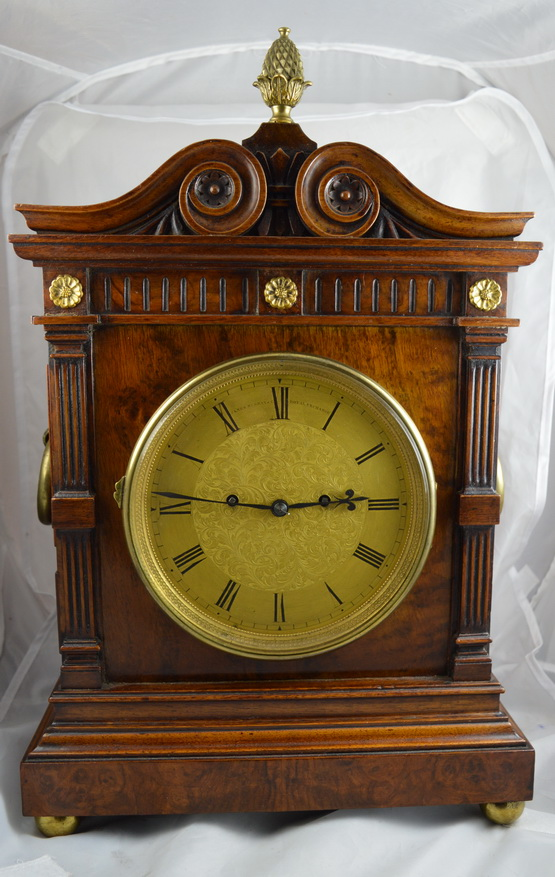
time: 2:45
